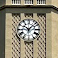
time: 10:07
